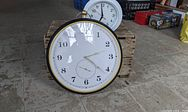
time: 2:21
